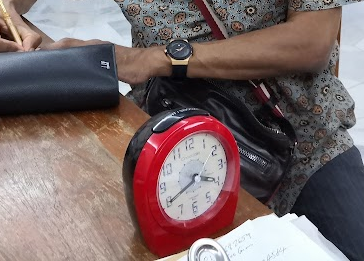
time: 3:40
